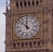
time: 11:52
